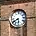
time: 5:40
